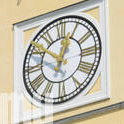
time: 12:51
